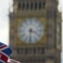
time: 3:31
